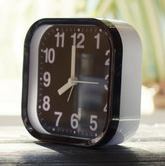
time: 7:59
